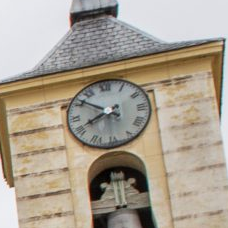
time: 7:51
